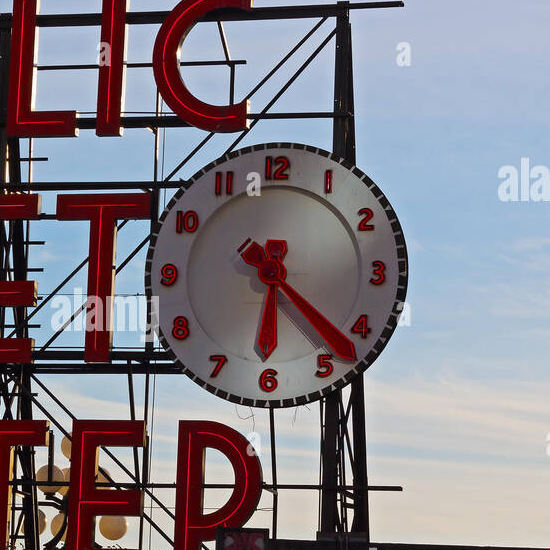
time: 6:22
